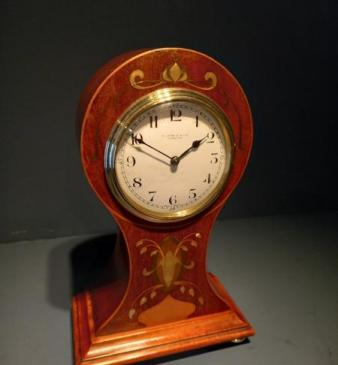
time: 1:49
